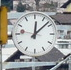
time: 12:07
